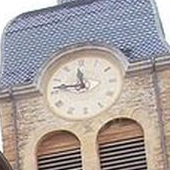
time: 11:46
